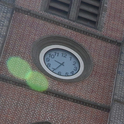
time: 9:34
